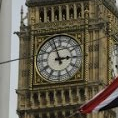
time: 2:56
